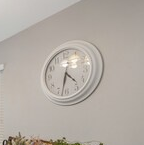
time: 4:32
